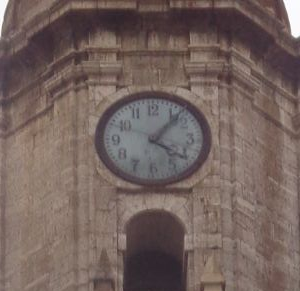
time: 4:06
